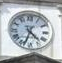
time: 4:33
